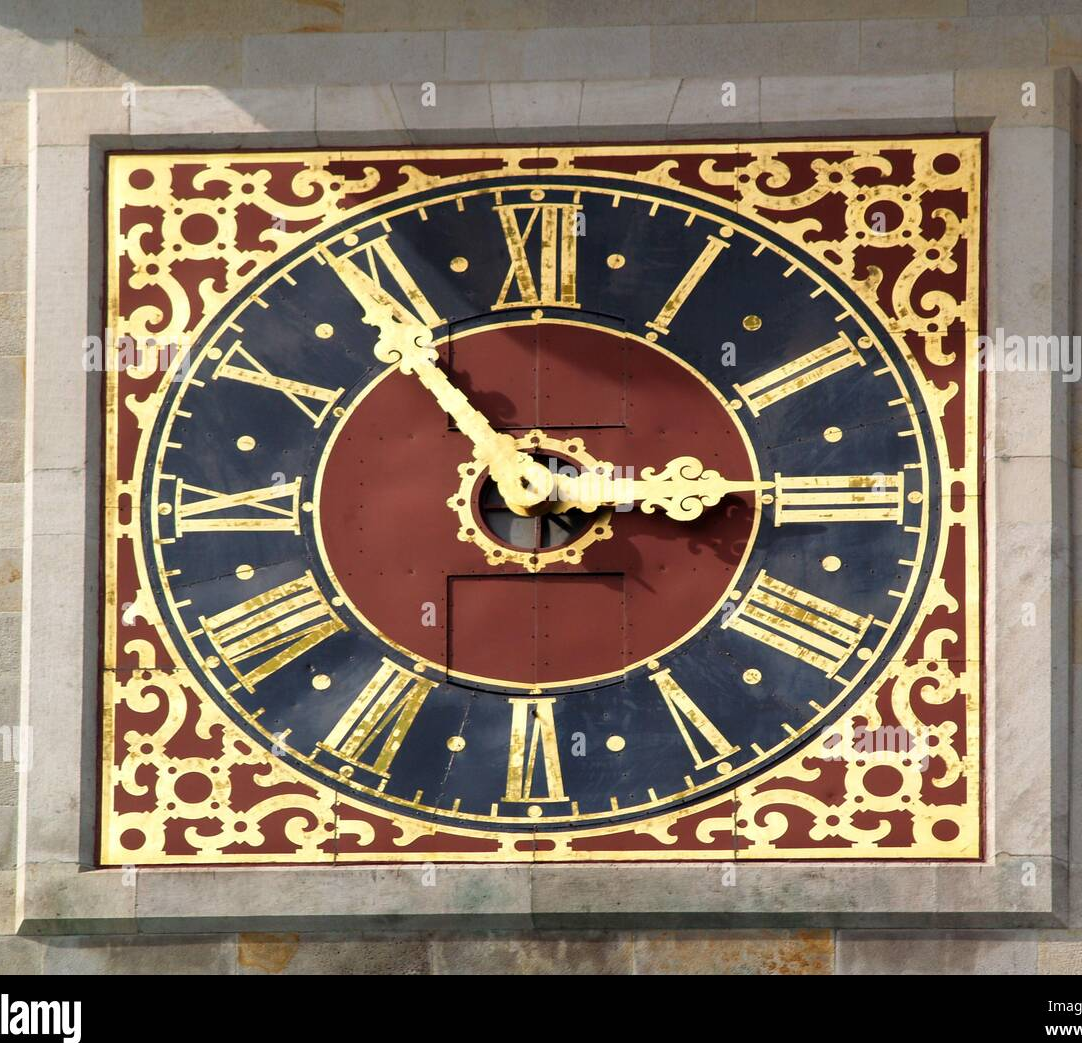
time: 2:54
